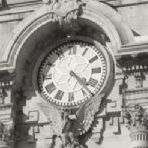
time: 4:22
